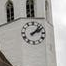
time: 2:07
